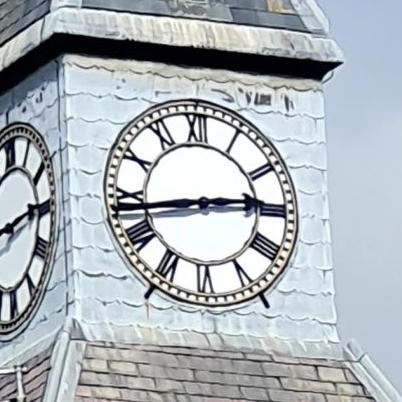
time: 2:43
